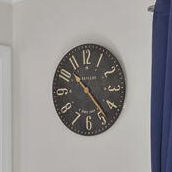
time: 10:23
